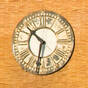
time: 10:32
